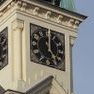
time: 5:00
